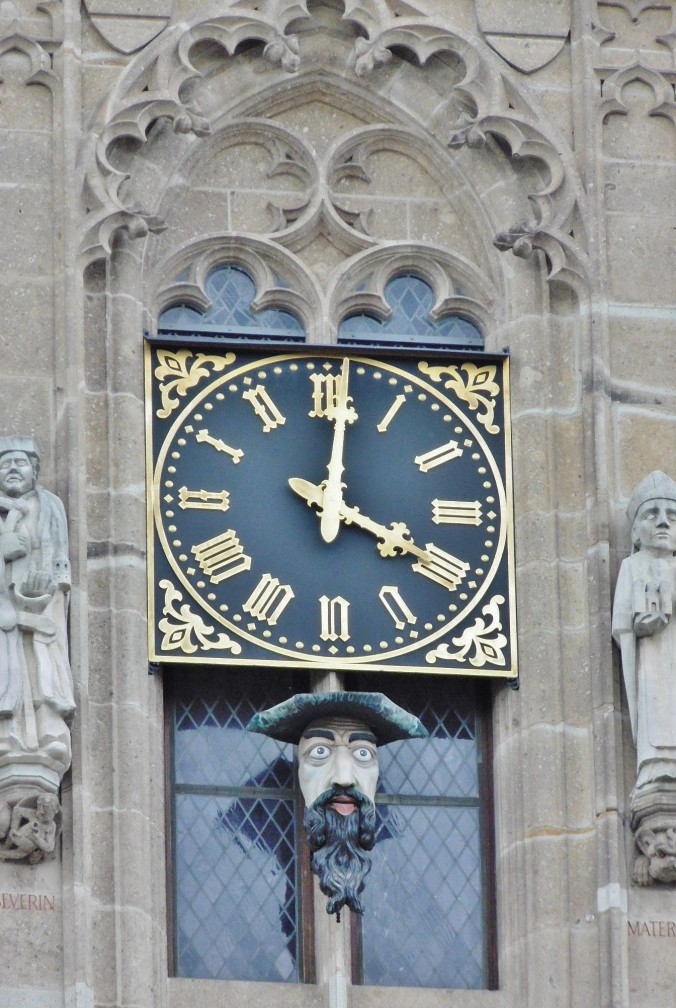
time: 4:01
